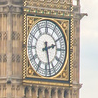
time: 2:27
